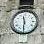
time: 11:30
